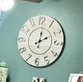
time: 2:01
